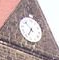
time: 6:52
